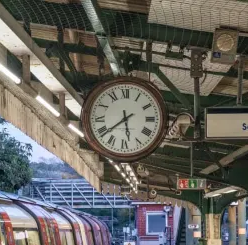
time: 5:38
